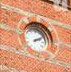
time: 2:09
